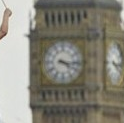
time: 4:16
